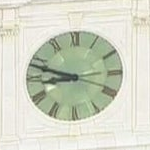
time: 8:48
